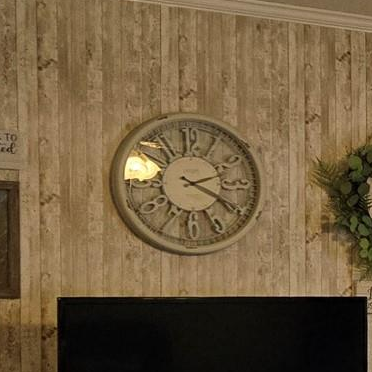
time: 2:20
